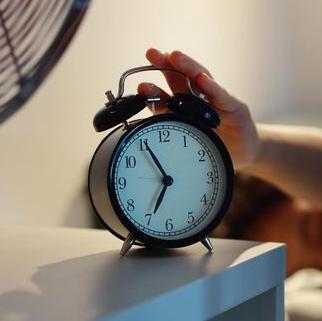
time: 6:55
